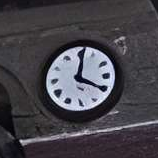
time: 4:01
